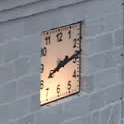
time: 8:13
